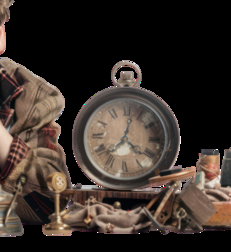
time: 7:02
